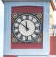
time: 11:50
